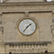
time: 1:36
